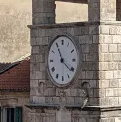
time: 11:21
